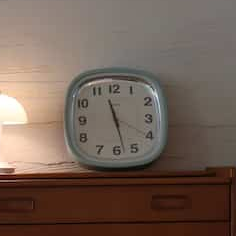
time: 11:27
